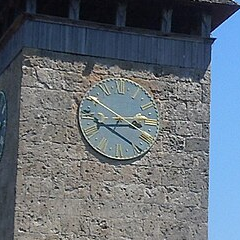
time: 2:50
